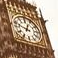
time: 12:48
